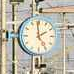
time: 1:59
